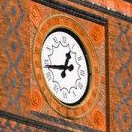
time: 12:43
